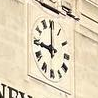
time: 8:59
